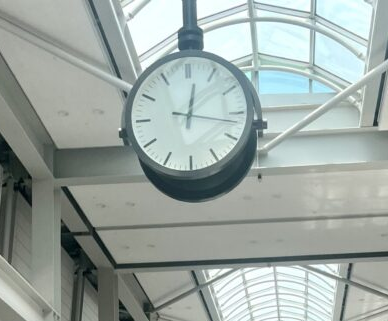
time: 12:17
